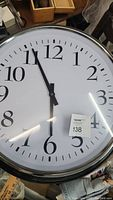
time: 5:55
